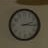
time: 2:15
